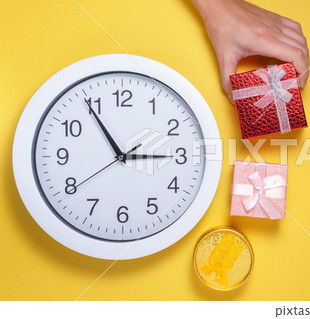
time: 2:54
